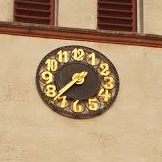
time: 7:37
